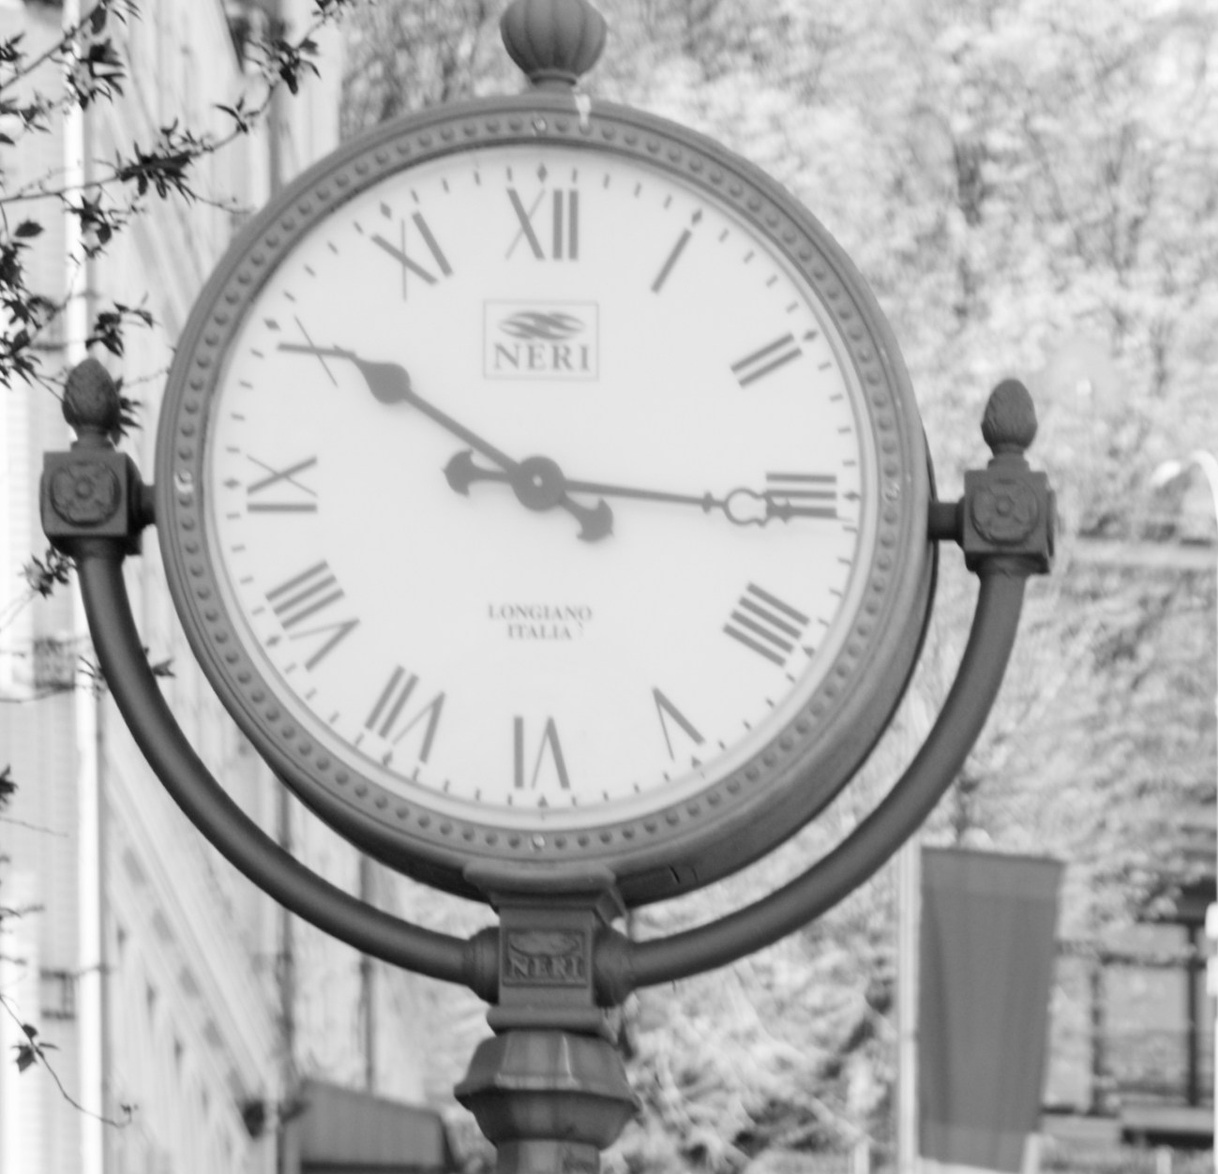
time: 10:15
